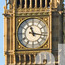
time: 11:17
